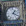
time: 1:20
